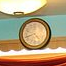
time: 4:42
